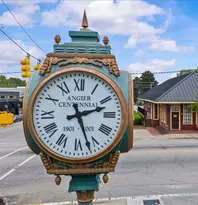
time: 2:26
